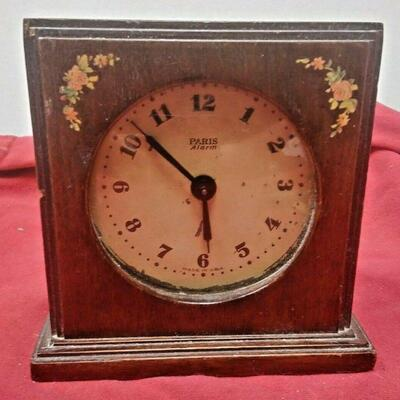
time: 5:52
